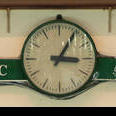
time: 3:05
